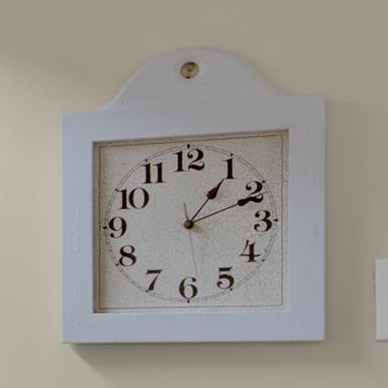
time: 1:11
